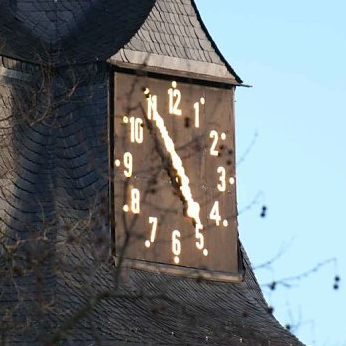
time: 4:54
